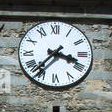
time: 3:37
